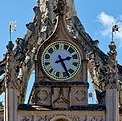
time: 2:25
